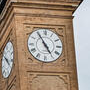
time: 4:54
